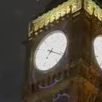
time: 7:20
